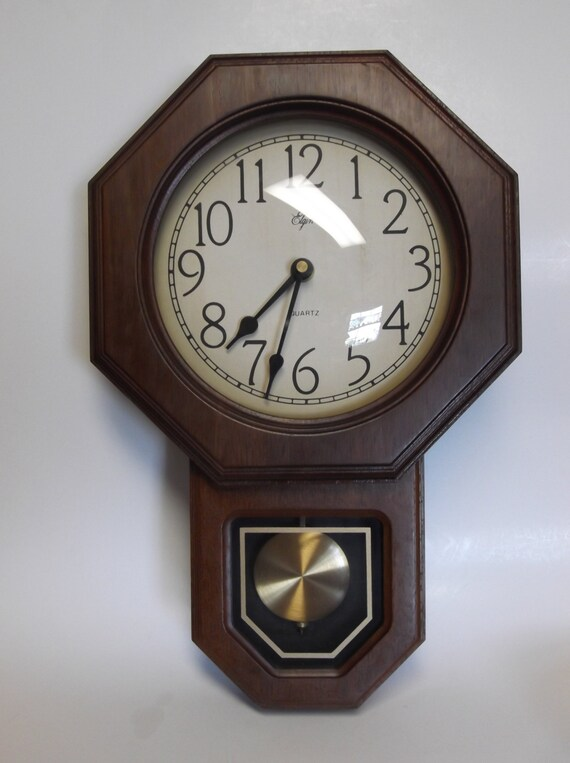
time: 7:33
